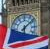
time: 6:08
